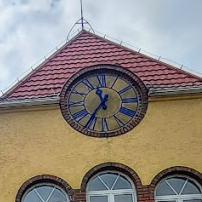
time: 11:35
